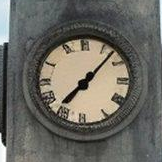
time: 7:07
